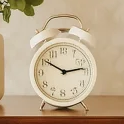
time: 2:50
